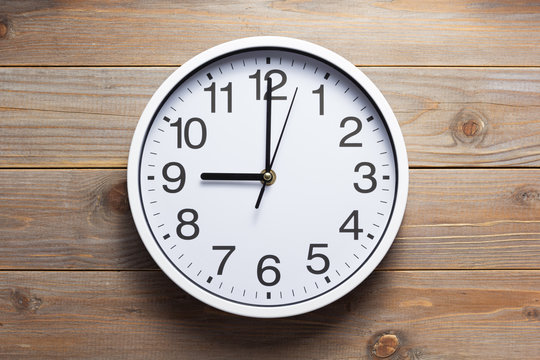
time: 9:00
